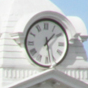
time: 1:28
